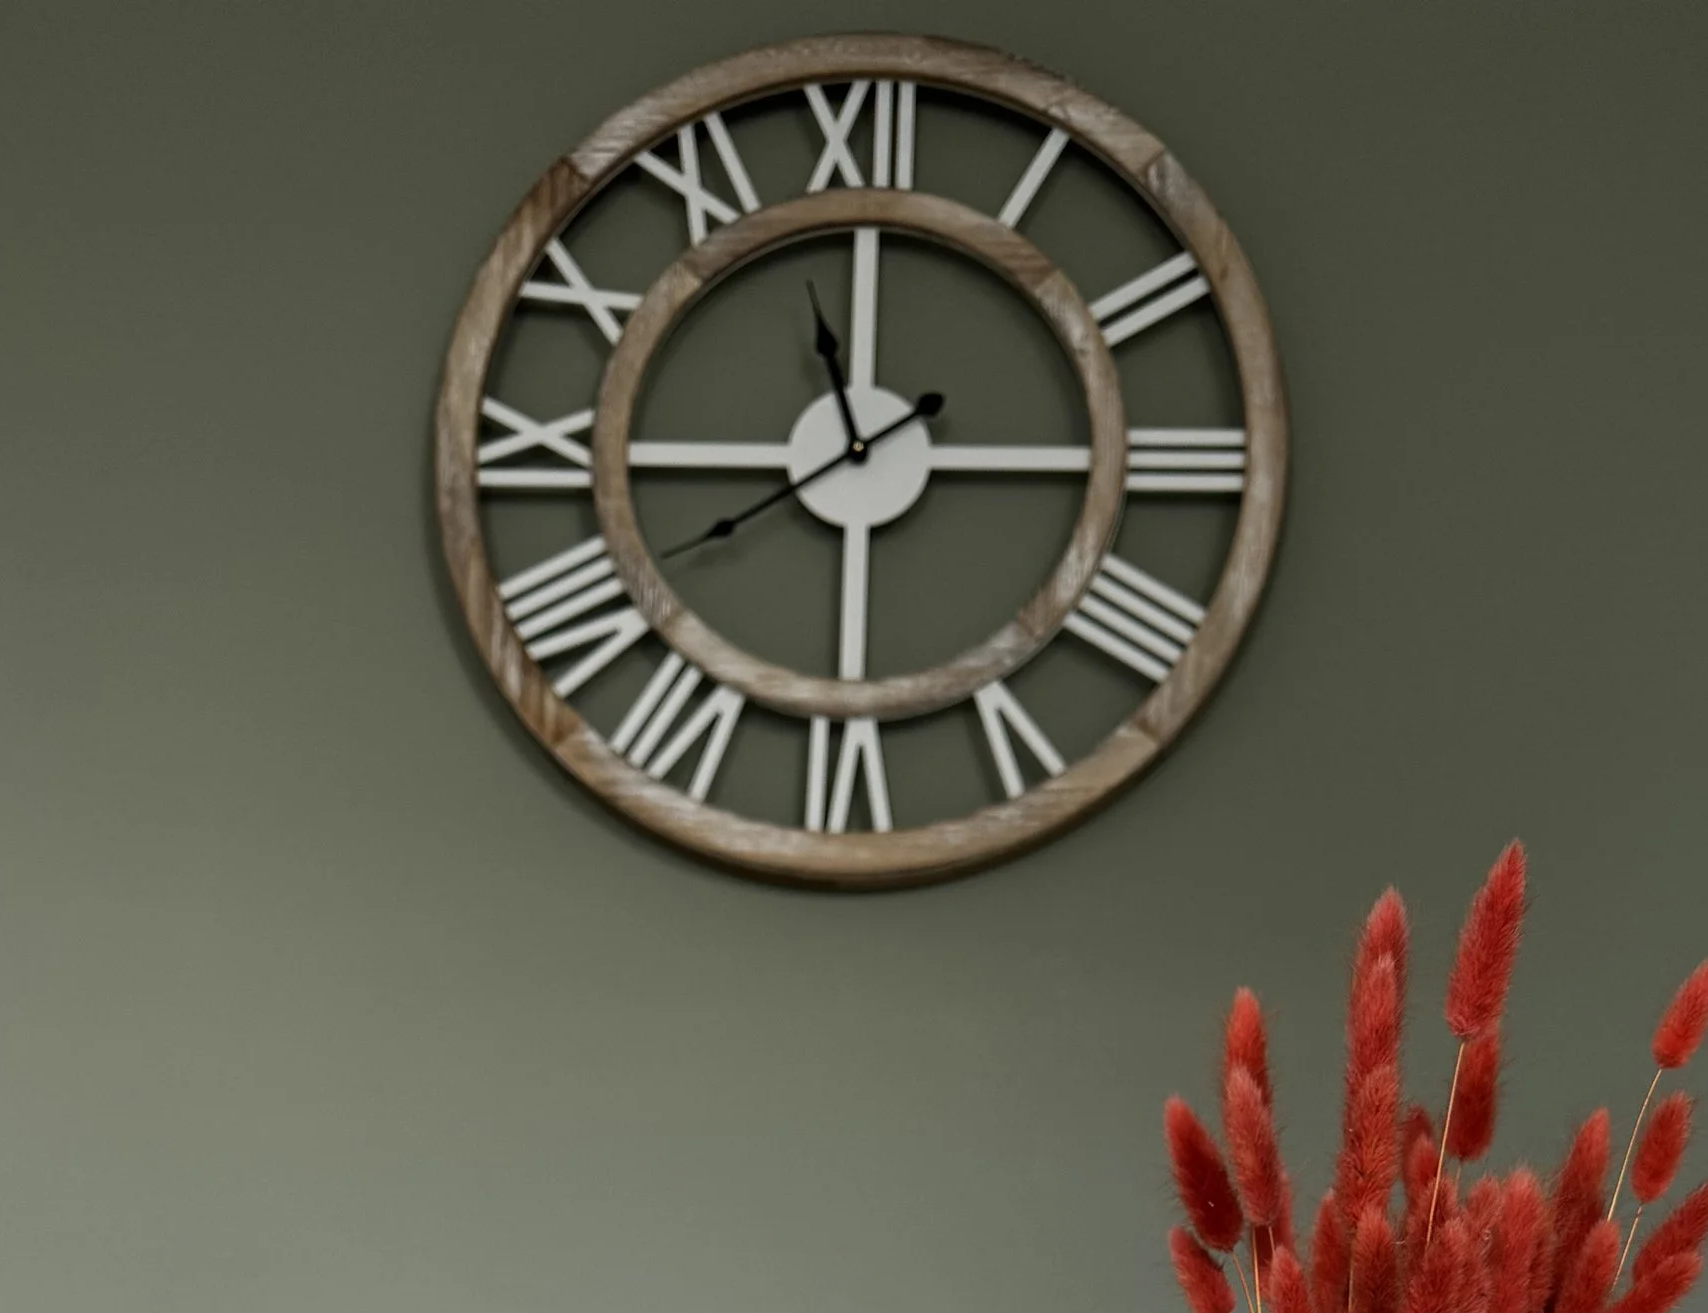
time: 11:44
